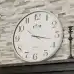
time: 3:17
